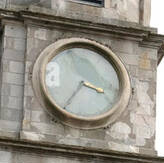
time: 3:34
